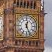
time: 12:26
